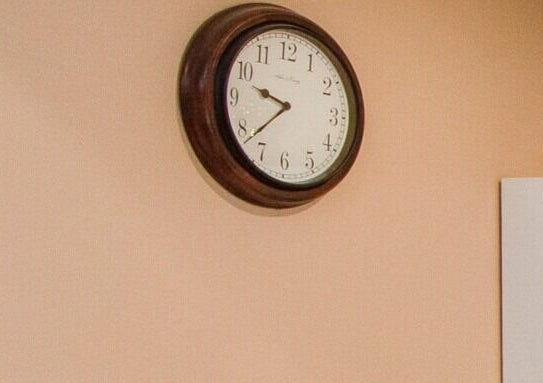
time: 9:38
